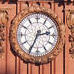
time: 2:34
